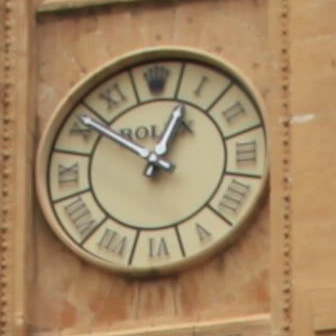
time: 12:50
